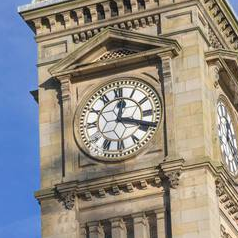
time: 12:18
